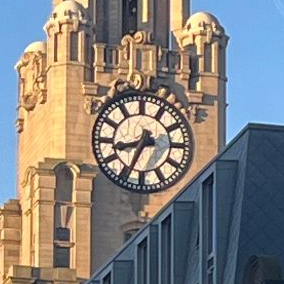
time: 8:34
